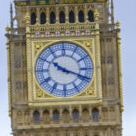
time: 10:18
